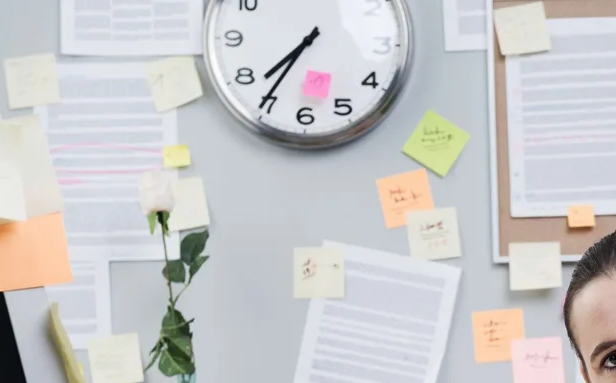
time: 7:35
